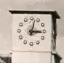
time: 3:02
